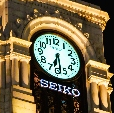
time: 6:28
